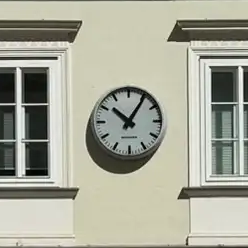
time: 10:05
